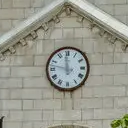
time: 11:47
